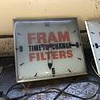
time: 6:14
